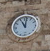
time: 11:01
